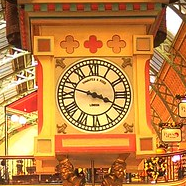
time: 3:47
